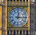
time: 12:15
